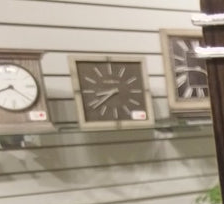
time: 8:38
